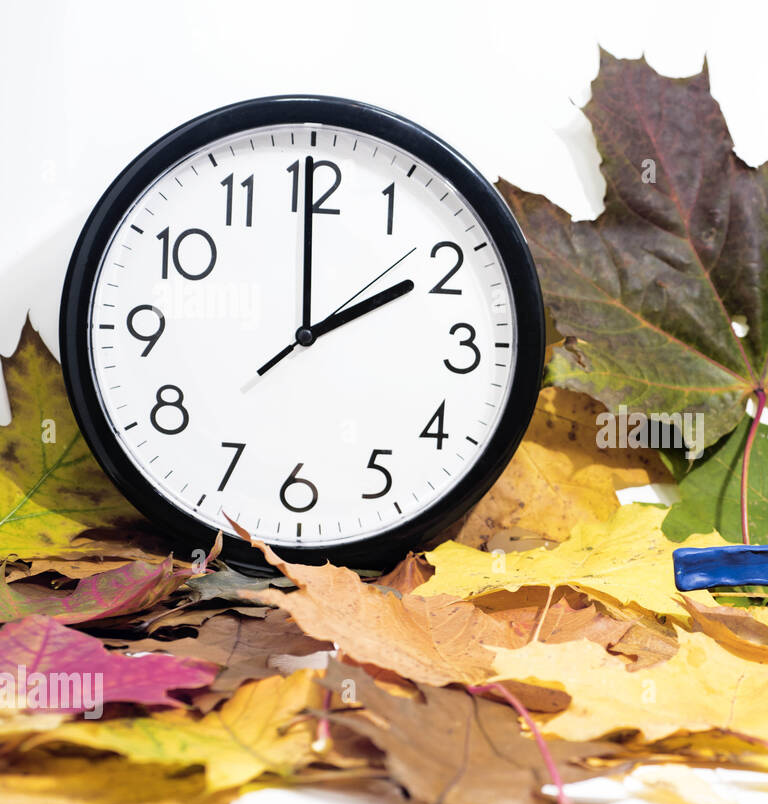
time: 1:59
